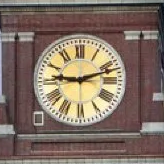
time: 9:11
